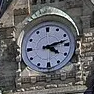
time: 4:12
